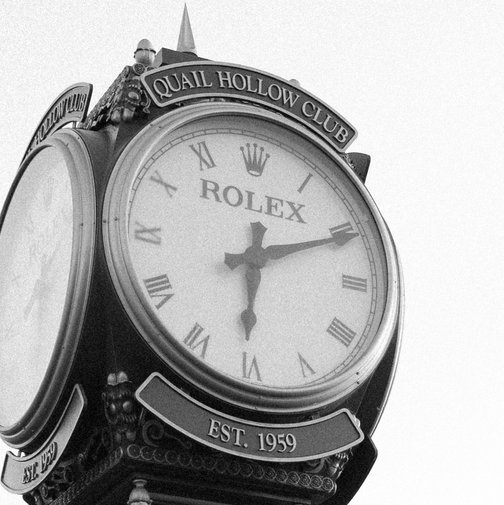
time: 6:10
